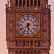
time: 7:28
